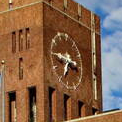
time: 6:45
